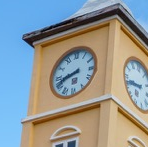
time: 8:41
